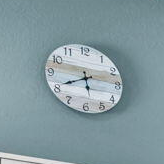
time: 5:40
